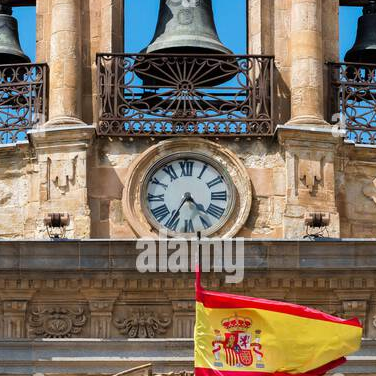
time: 4:35
